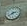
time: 2:40
